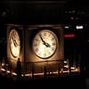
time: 3:54
